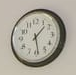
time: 1:28
